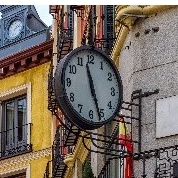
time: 11:26
